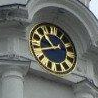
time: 10:42
